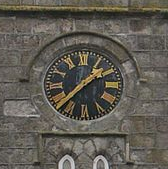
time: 1:37
